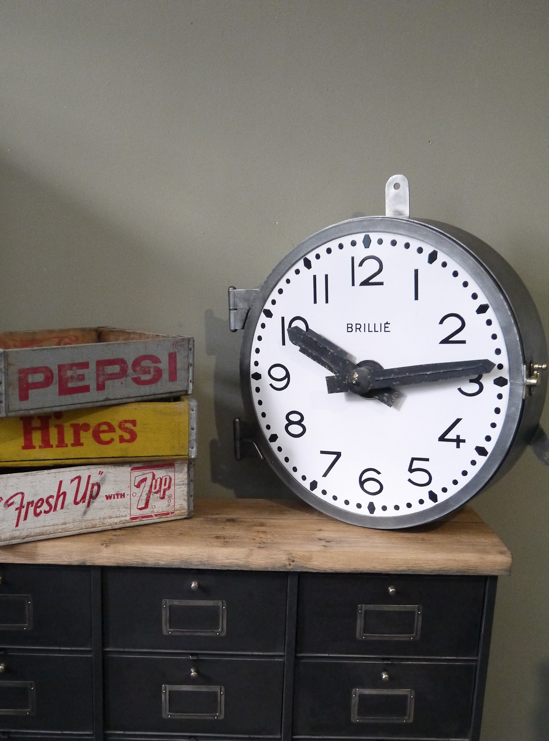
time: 10:13
